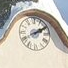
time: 2:09
